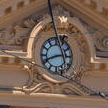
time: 2:41
